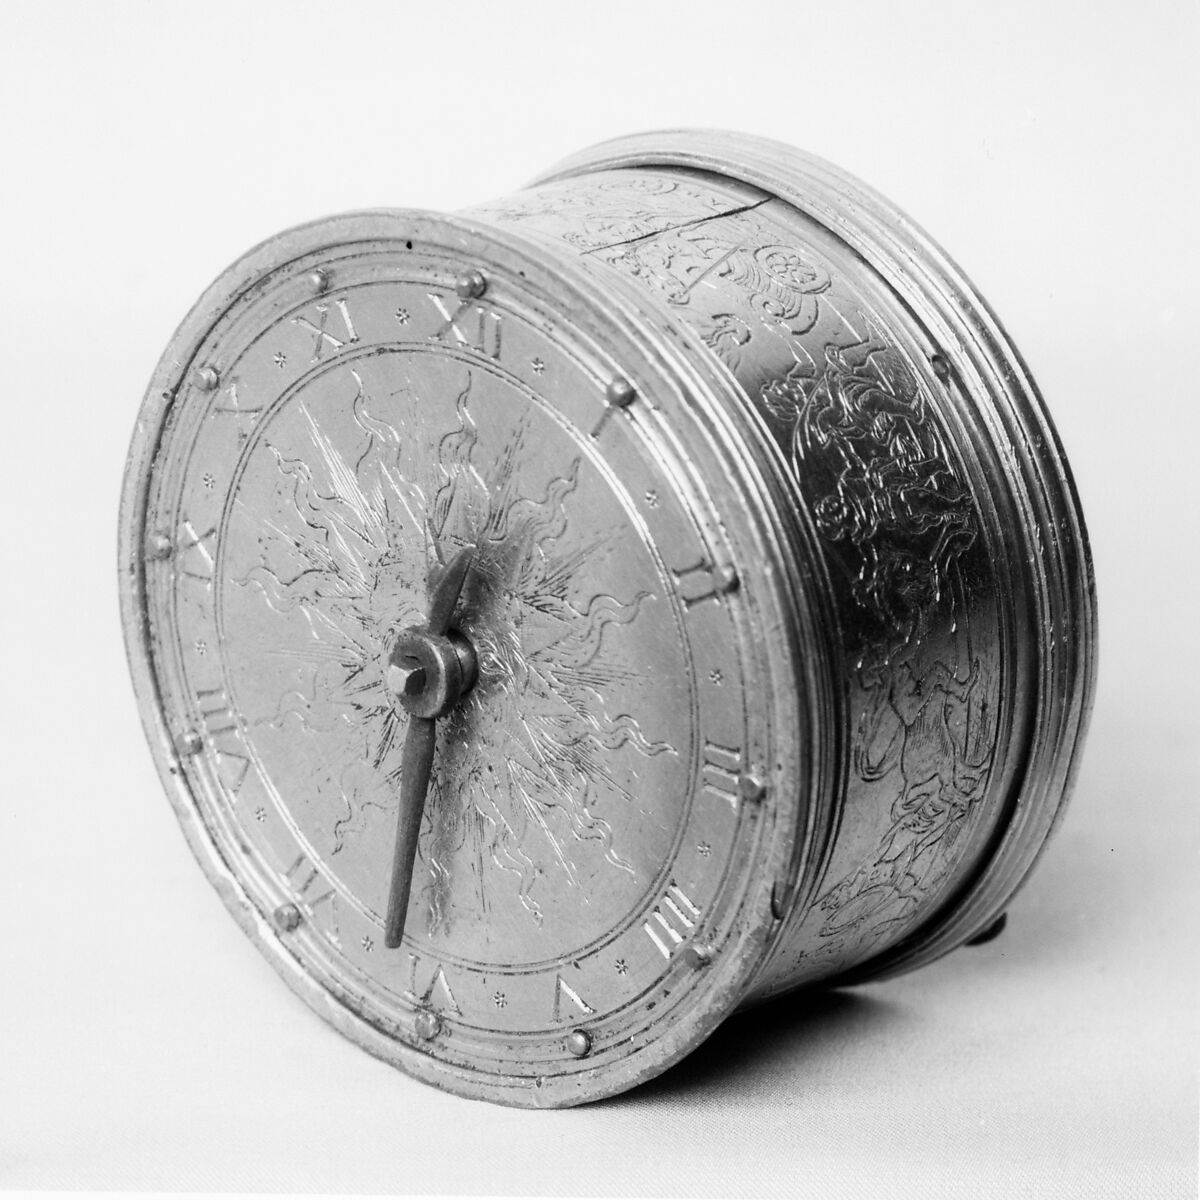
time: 12:31
